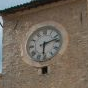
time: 6:12
